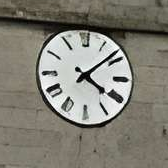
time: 4:08
